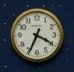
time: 3:34
